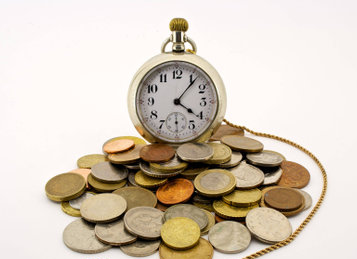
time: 4:06
